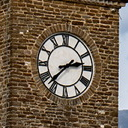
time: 2:37
